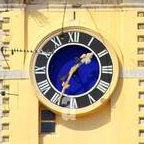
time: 1:34
